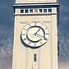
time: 1:18
